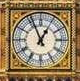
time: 12:56
